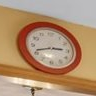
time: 2:41
